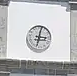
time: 3:02
